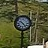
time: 10:23
